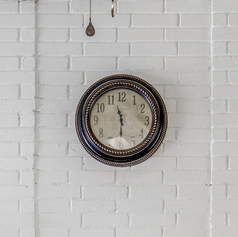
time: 11:29
